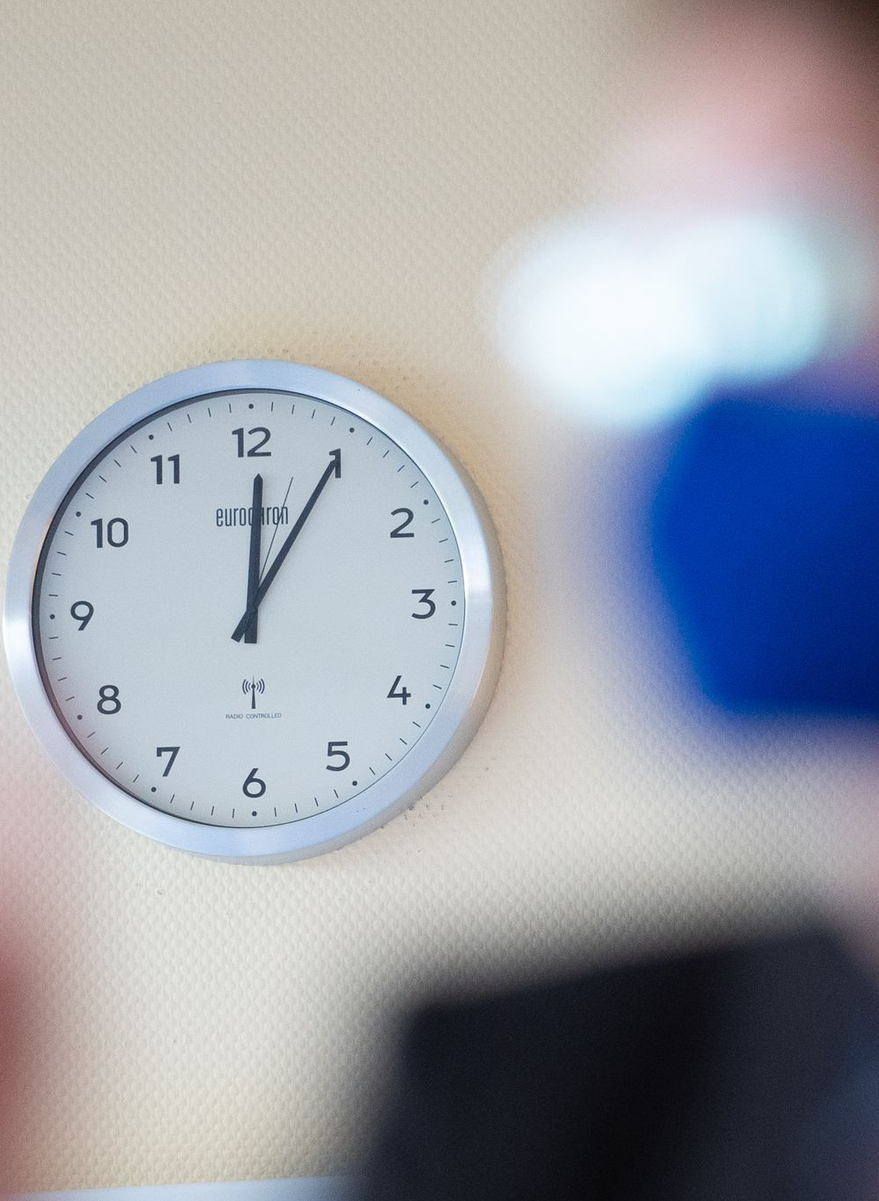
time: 12:04
